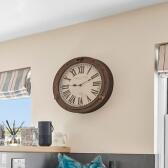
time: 9:10
